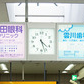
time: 4:26
